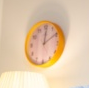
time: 12:09
